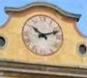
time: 10:11
